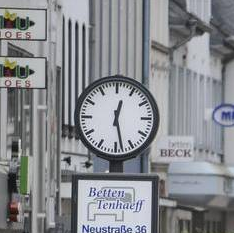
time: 12:28
